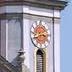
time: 2:40
